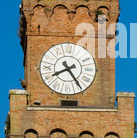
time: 8:24
